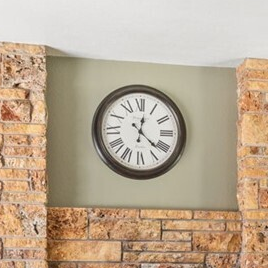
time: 12:21
